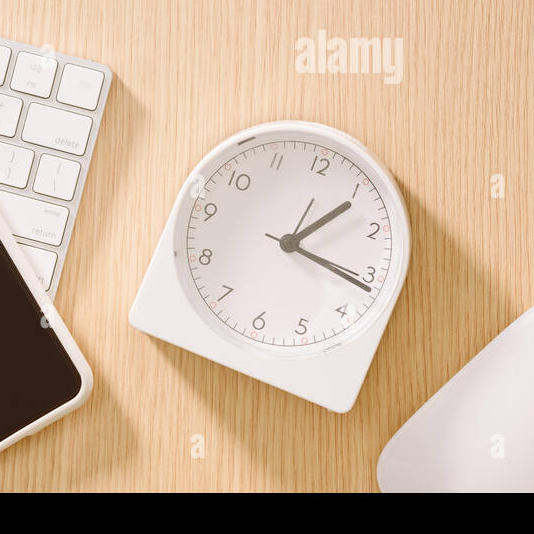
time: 1:16
